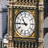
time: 10:45
